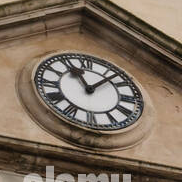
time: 11:07
